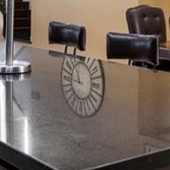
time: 11:46
